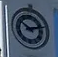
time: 10:12
